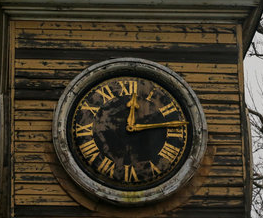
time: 12:13
